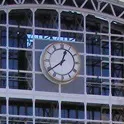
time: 12:39
